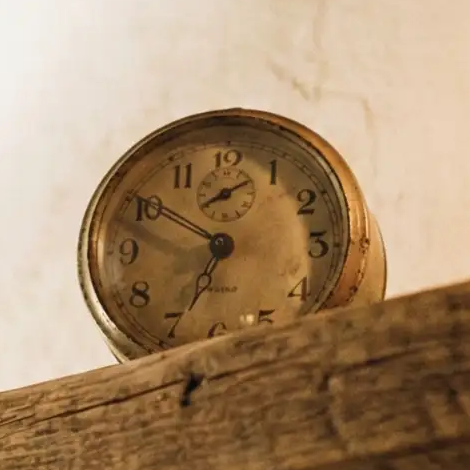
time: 6:49
